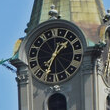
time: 1:33
